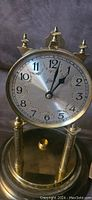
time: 1:02
